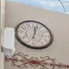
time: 12:02
